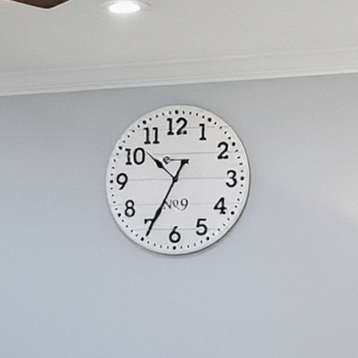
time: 10:34
